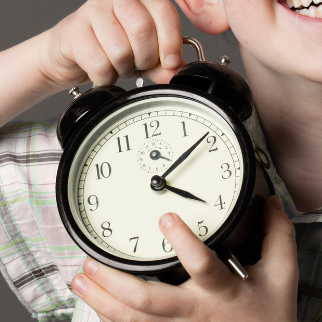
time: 4:08
